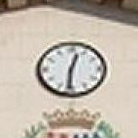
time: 12:30
